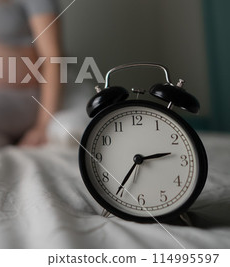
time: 2:35
